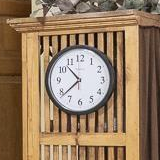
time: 10:38
